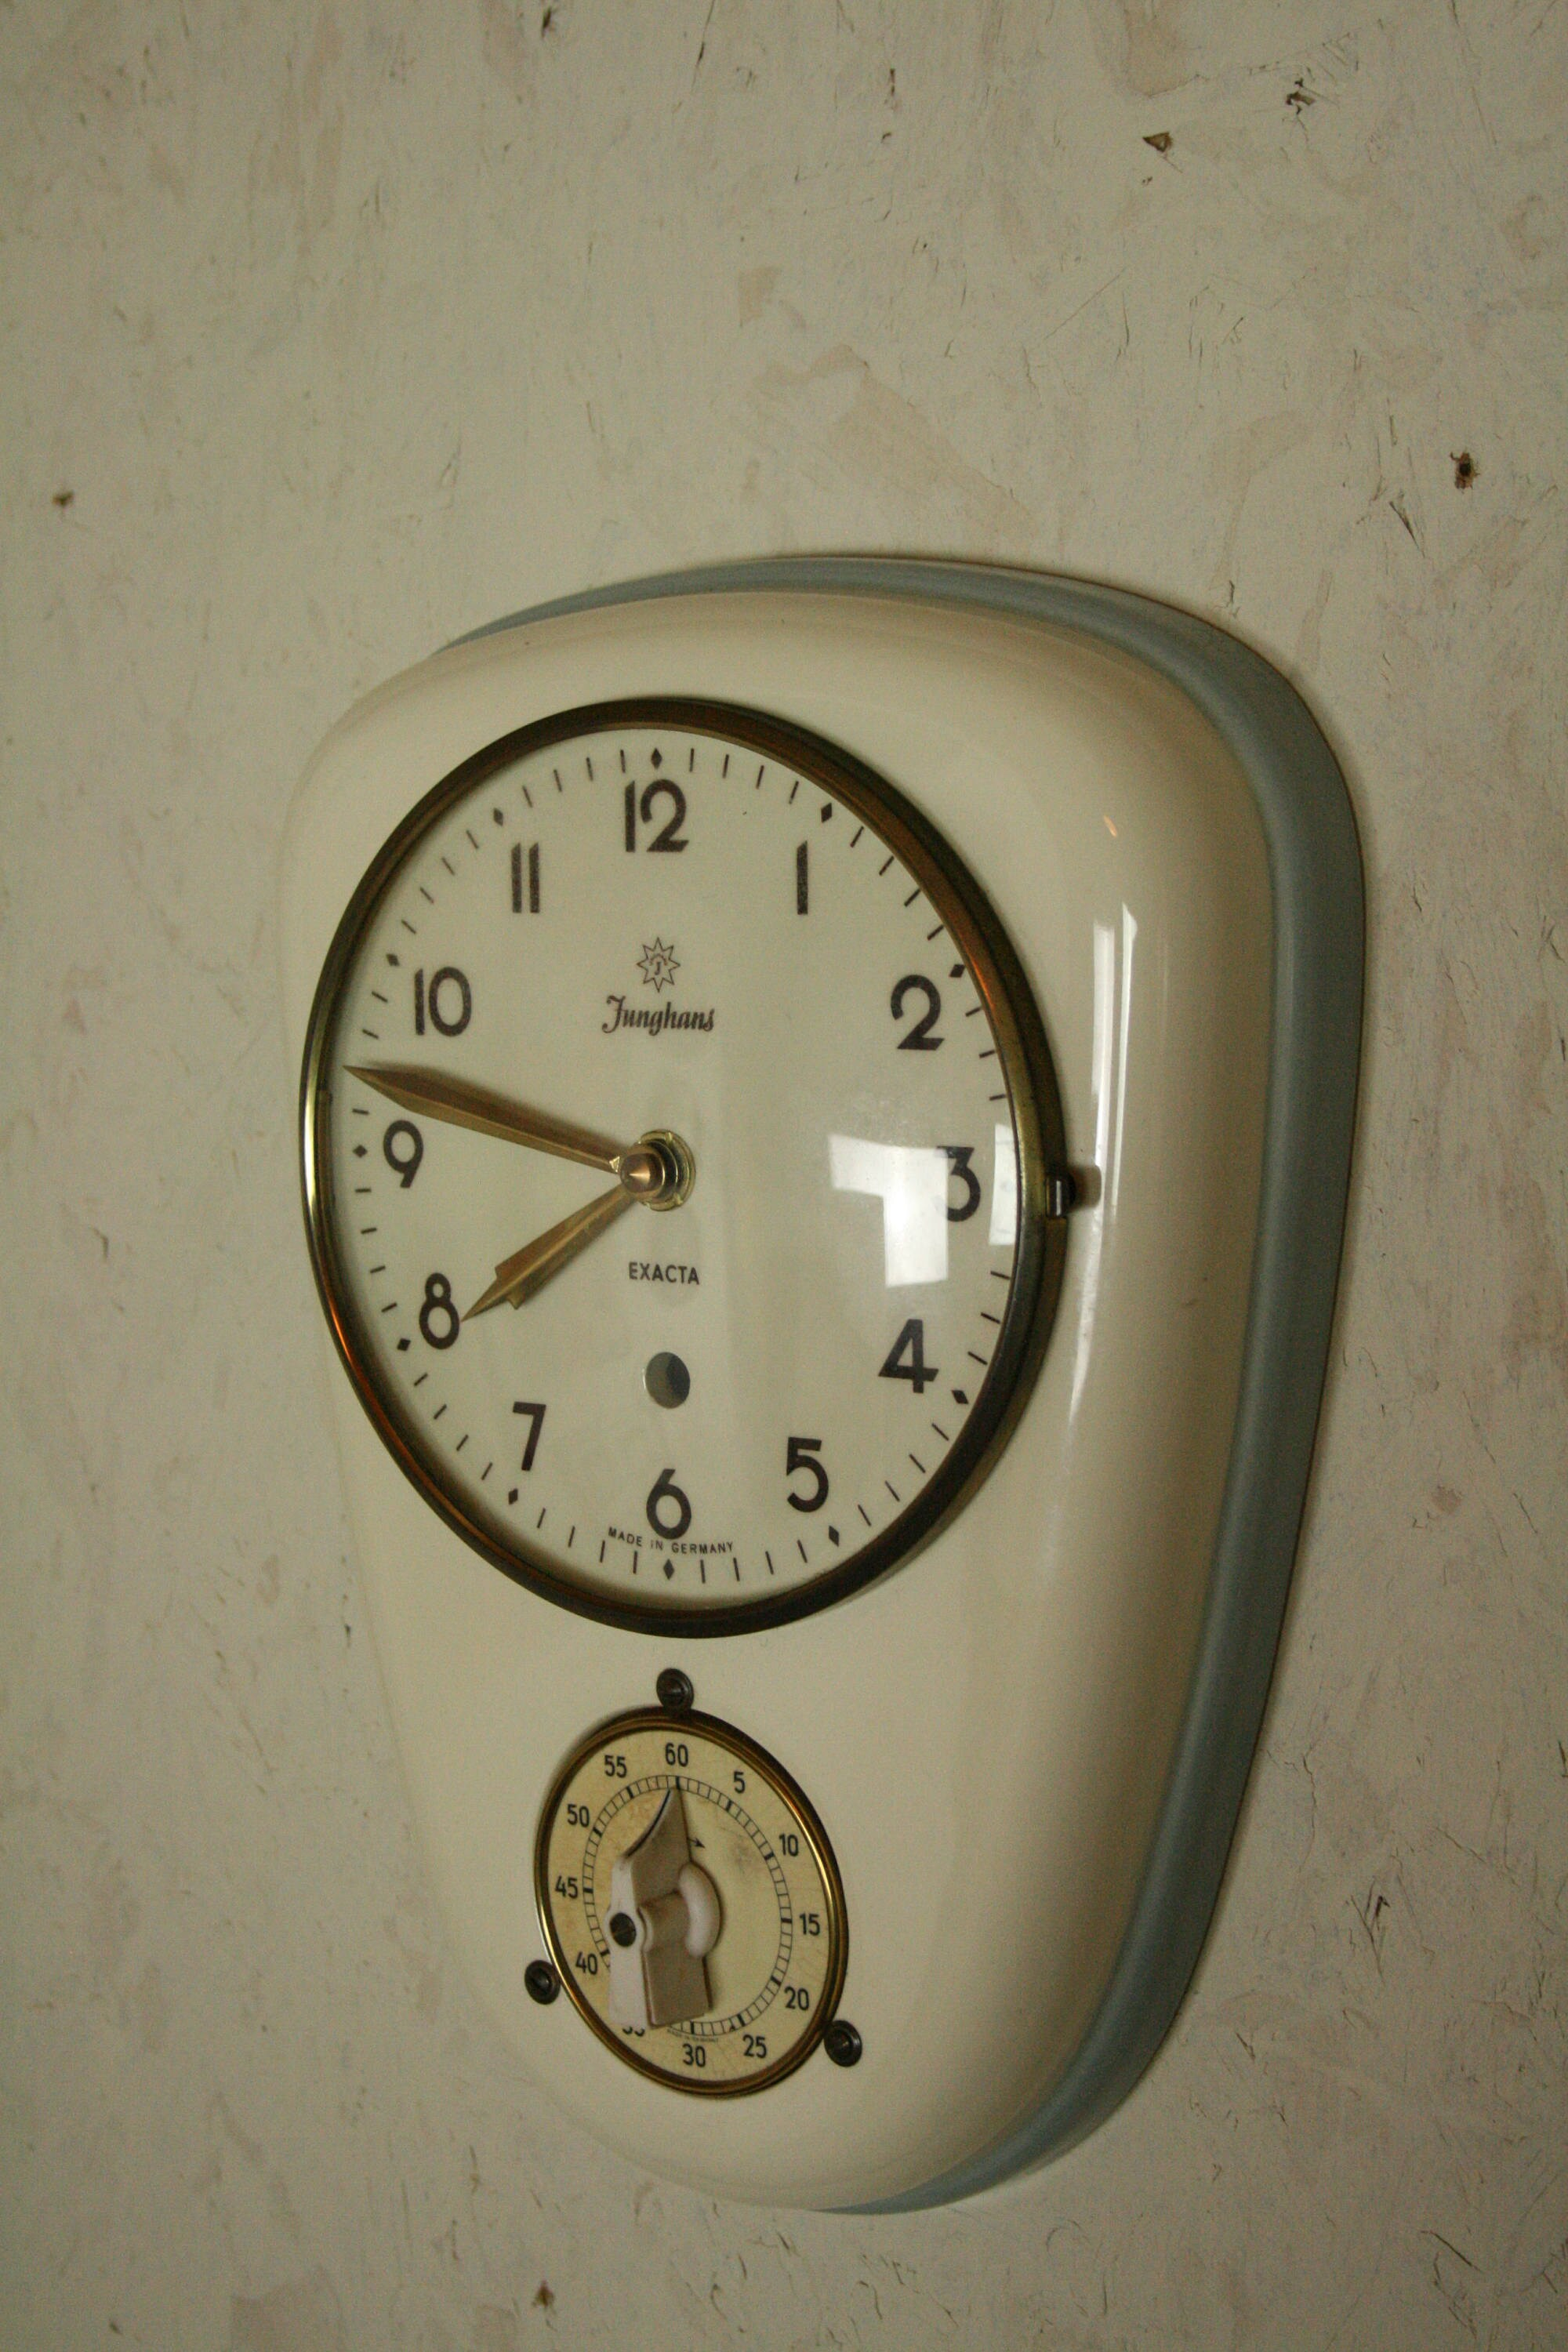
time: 7:47
